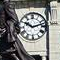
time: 10:12
